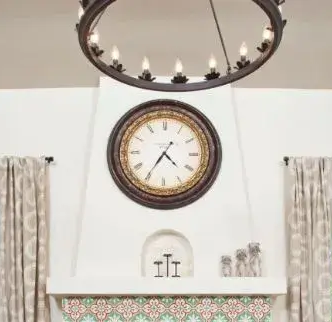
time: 4:35
